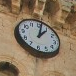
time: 1:01
